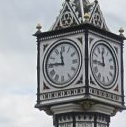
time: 11:45
